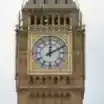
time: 12:10
